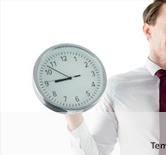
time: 8:52
